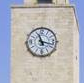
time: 11:17
